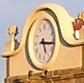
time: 5:15
